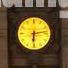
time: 6:13
